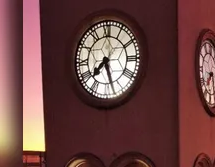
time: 7:27
